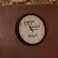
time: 11:13
